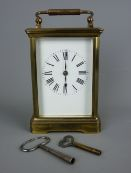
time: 6:00
